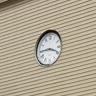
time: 3:44
